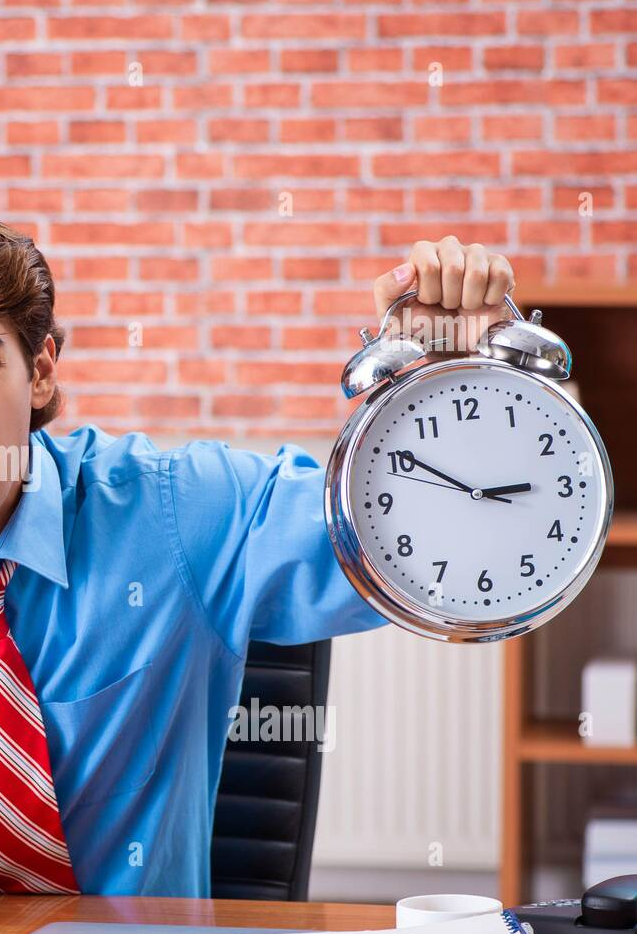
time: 2:50
